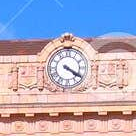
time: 4:20
